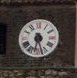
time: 6:27
